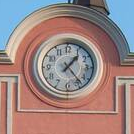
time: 1:23
